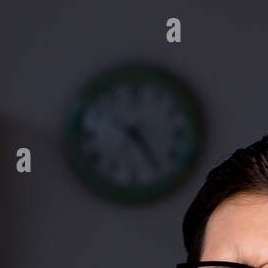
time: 7:24
